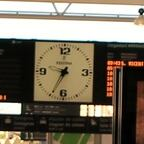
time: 9:34
